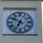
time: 6:50
